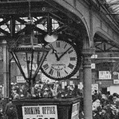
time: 11:07
